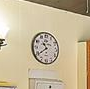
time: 10:39
